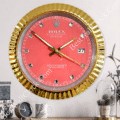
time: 1:51
